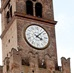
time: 4:07
